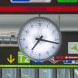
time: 7:17
